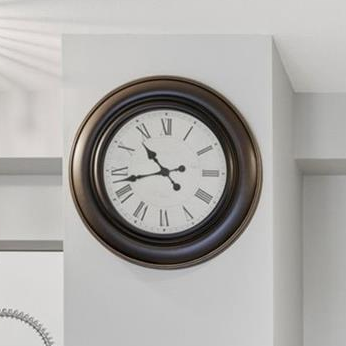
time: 10:42
